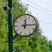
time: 12:14
